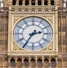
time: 2:35
